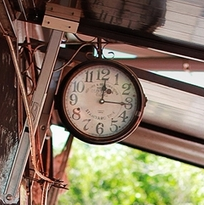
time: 12:15
